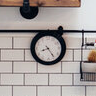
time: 8:24
